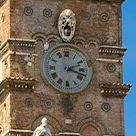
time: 2:18
